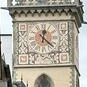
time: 12:22
